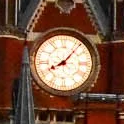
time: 8:07
